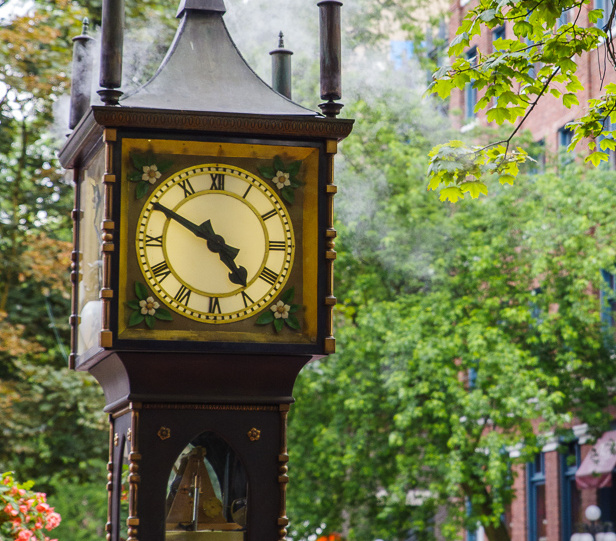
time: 4:50
